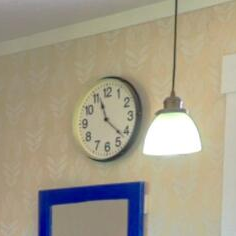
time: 11:21
